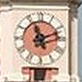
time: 11:11
